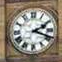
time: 2:18
